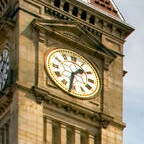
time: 1:32
